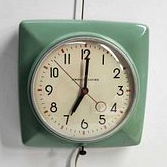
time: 7:00
